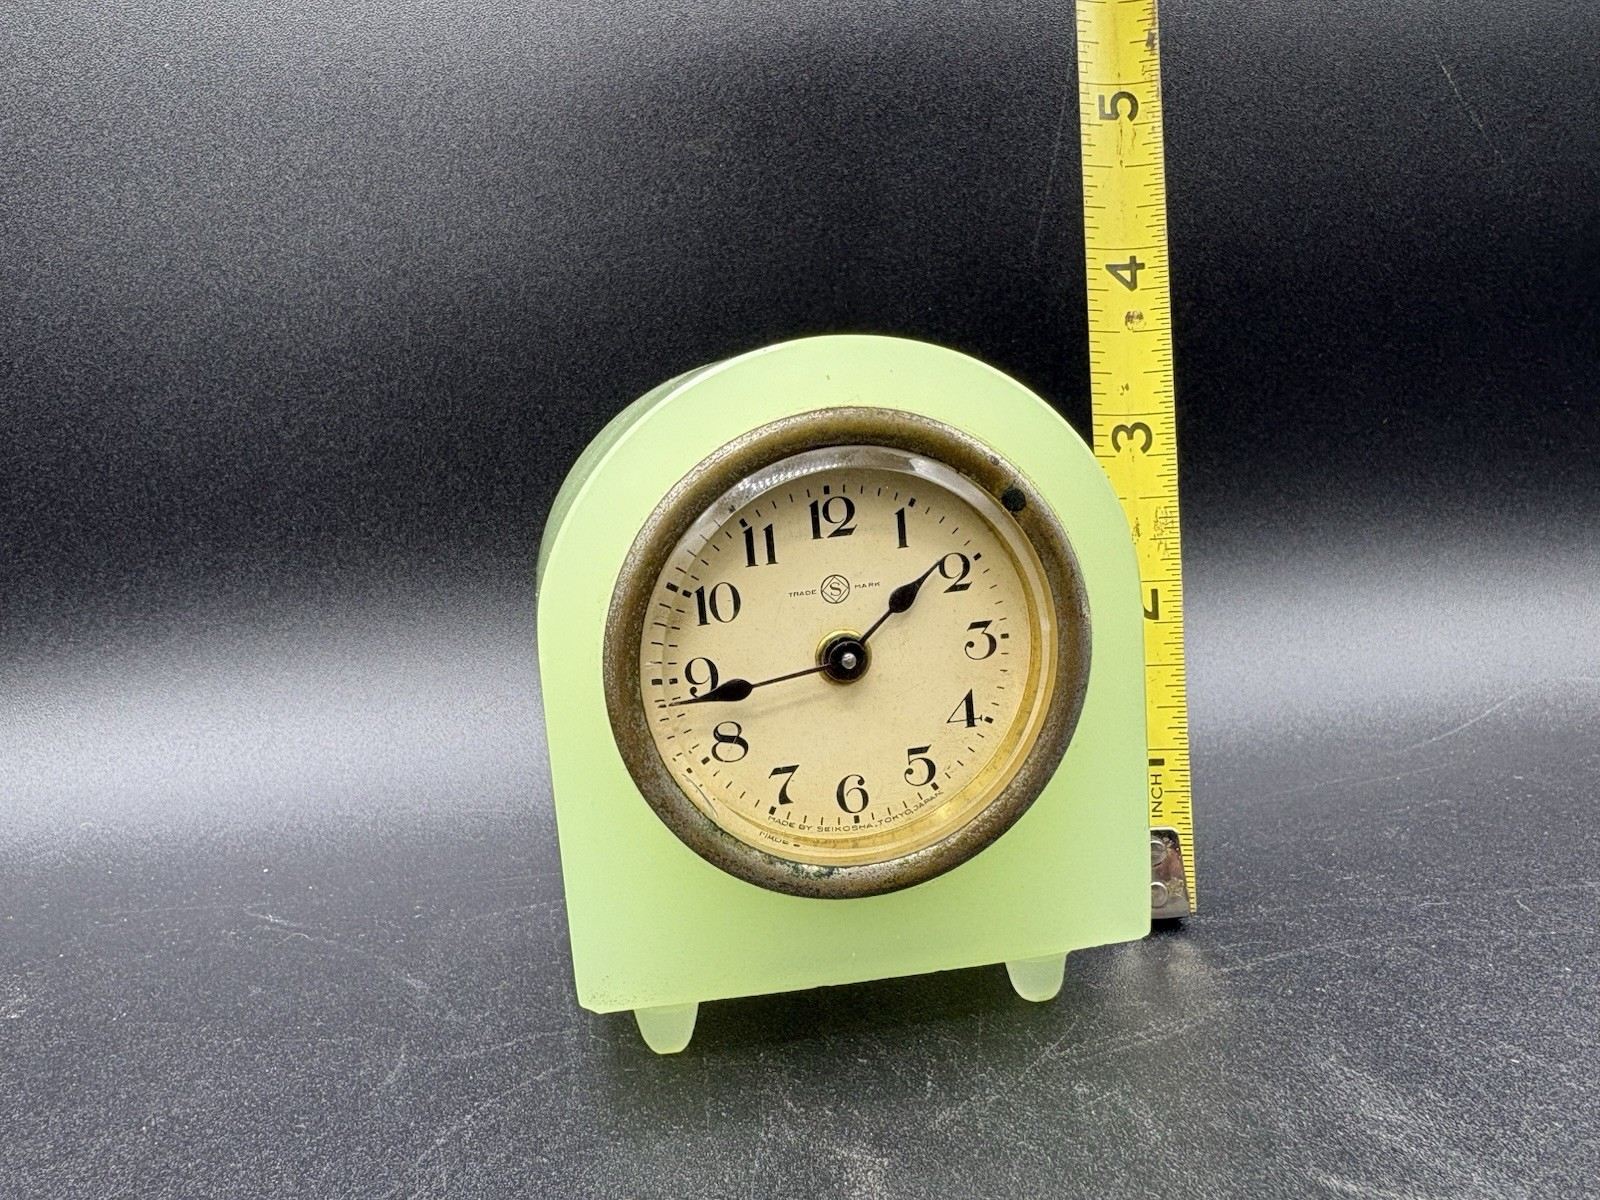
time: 1:43
